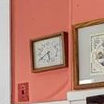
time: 5:39
